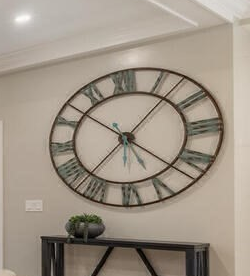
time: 5:07
